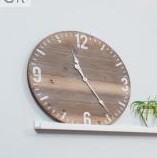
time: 11:24
